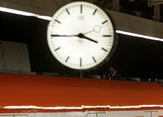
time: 3:44
